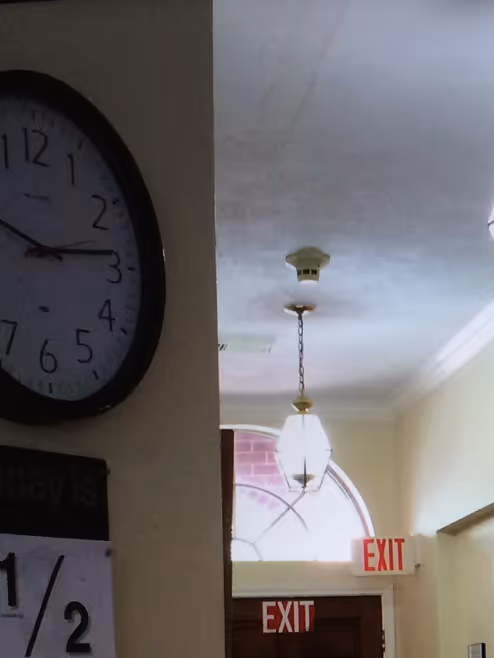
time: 9:13
